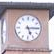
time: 5:14
